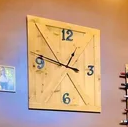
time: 12:46
